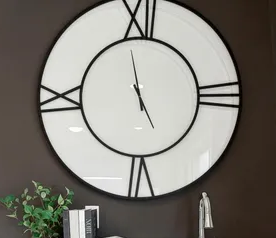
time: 4:58
